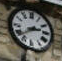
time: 2:38
